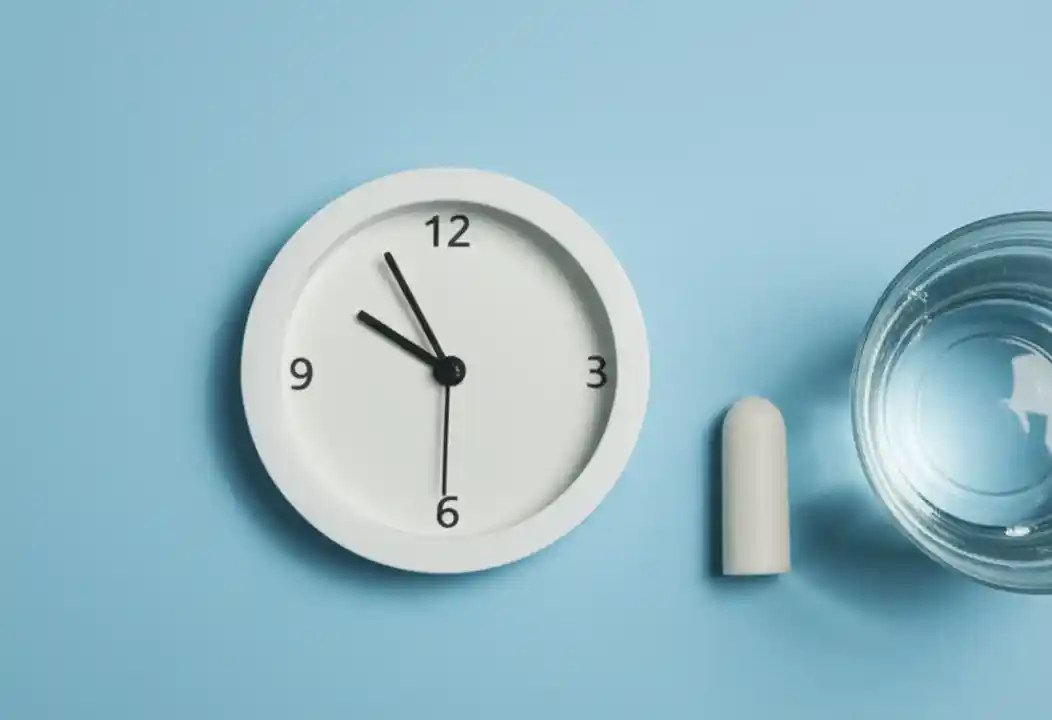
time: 9:54
